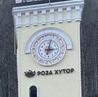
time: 3:01
